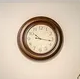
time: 10:16
